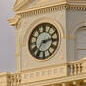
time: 2:36
